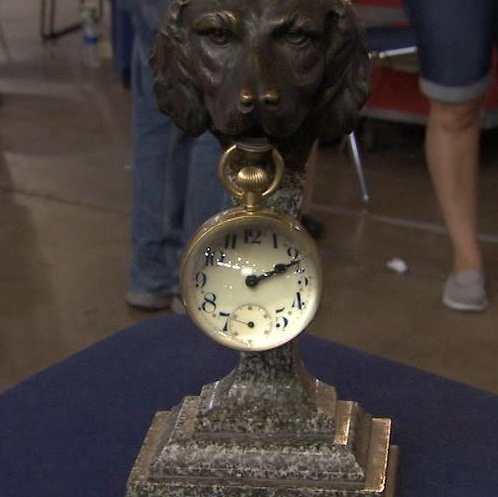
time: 2:11
